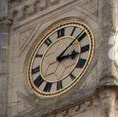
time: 3:08
